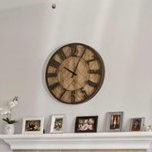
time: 10:04
